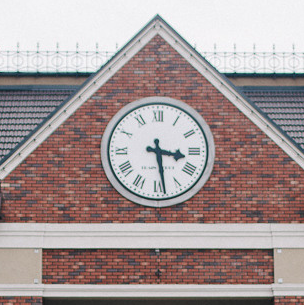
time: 3:28
